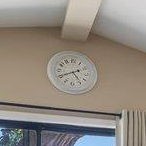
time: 4:40
